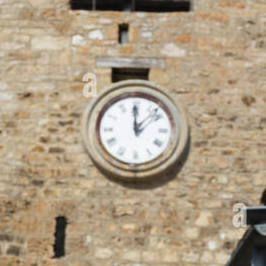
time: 12:07
